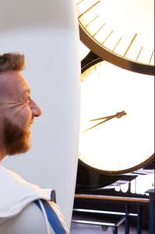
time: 8:41
